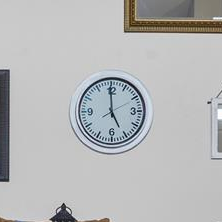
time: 4:59
